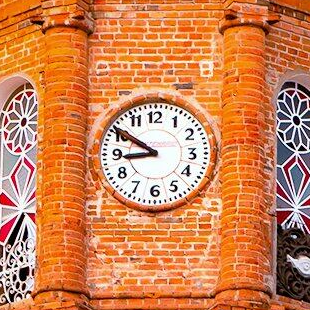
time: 8:50
